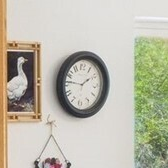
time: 1:46
